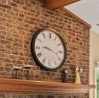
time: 9:17
